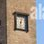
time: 12:28
